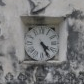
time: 4:26
